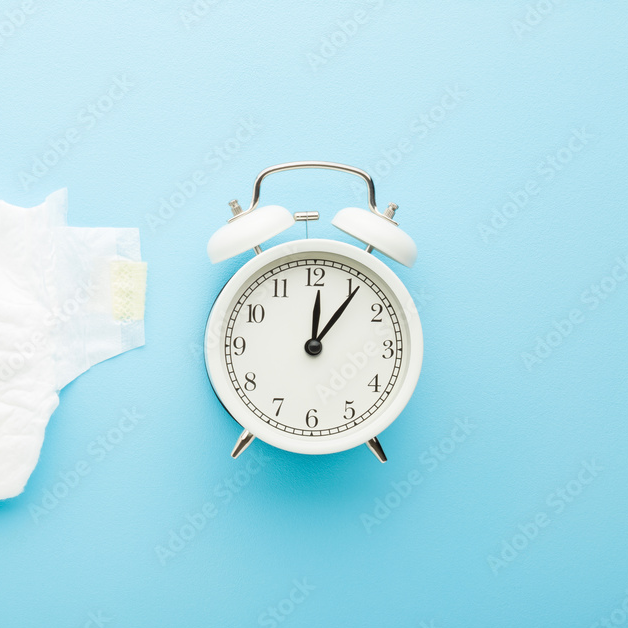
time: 12:06
